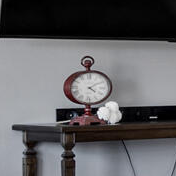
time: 4:09
